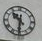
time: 10:31
